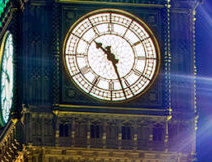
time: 10:26
